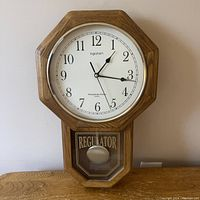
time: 1:16
